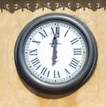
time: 12:00
